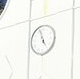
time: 4:56
